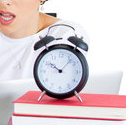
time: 10:07
